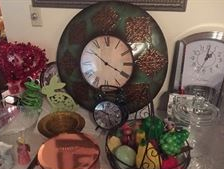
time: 10:19
